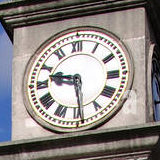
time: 9:29
